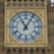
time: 11:05
